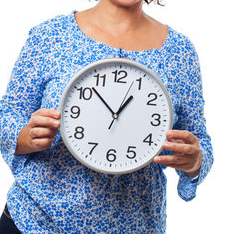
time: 12:52
